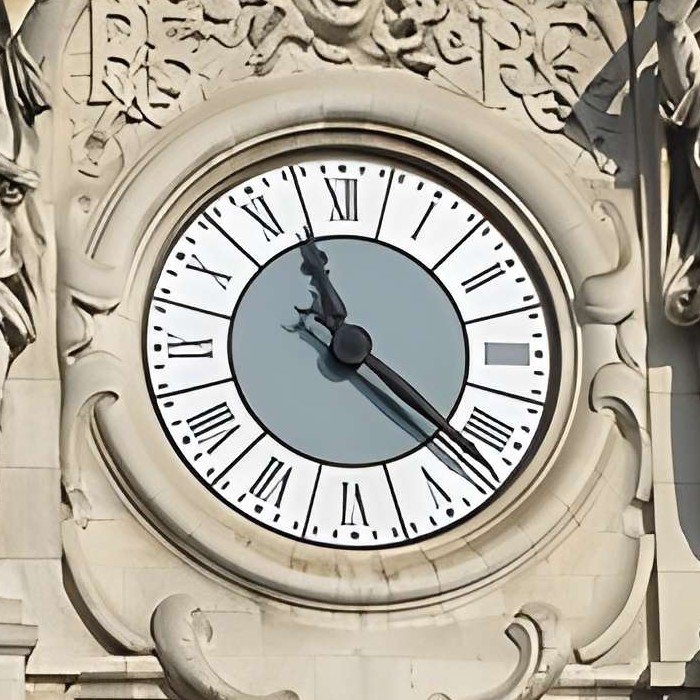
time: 11:21
